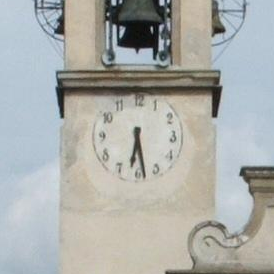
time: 6:28
